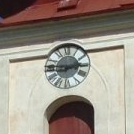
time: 2:46
